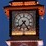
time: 7:24
